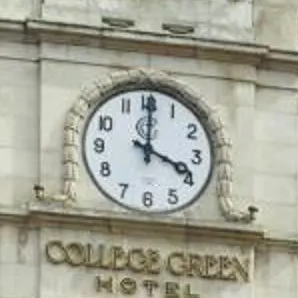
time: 4:00
